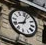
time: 8:03
